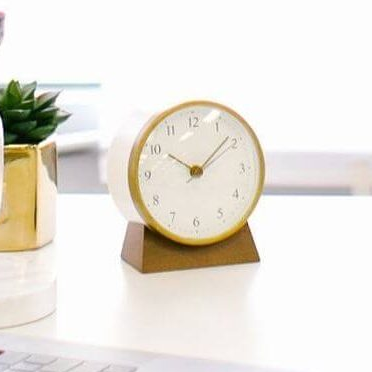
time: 10:08
